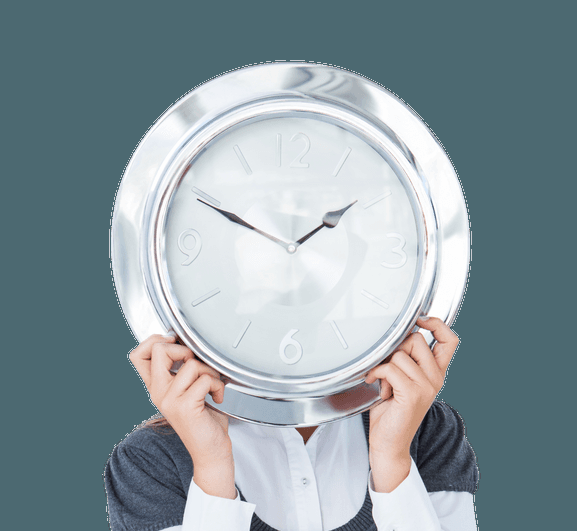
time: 1:49
